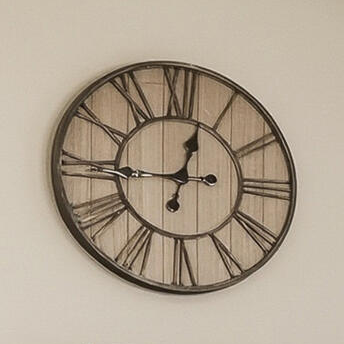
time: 12:45
